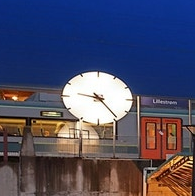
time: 9:23
